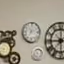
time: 7:12
